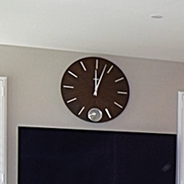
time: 12:03
